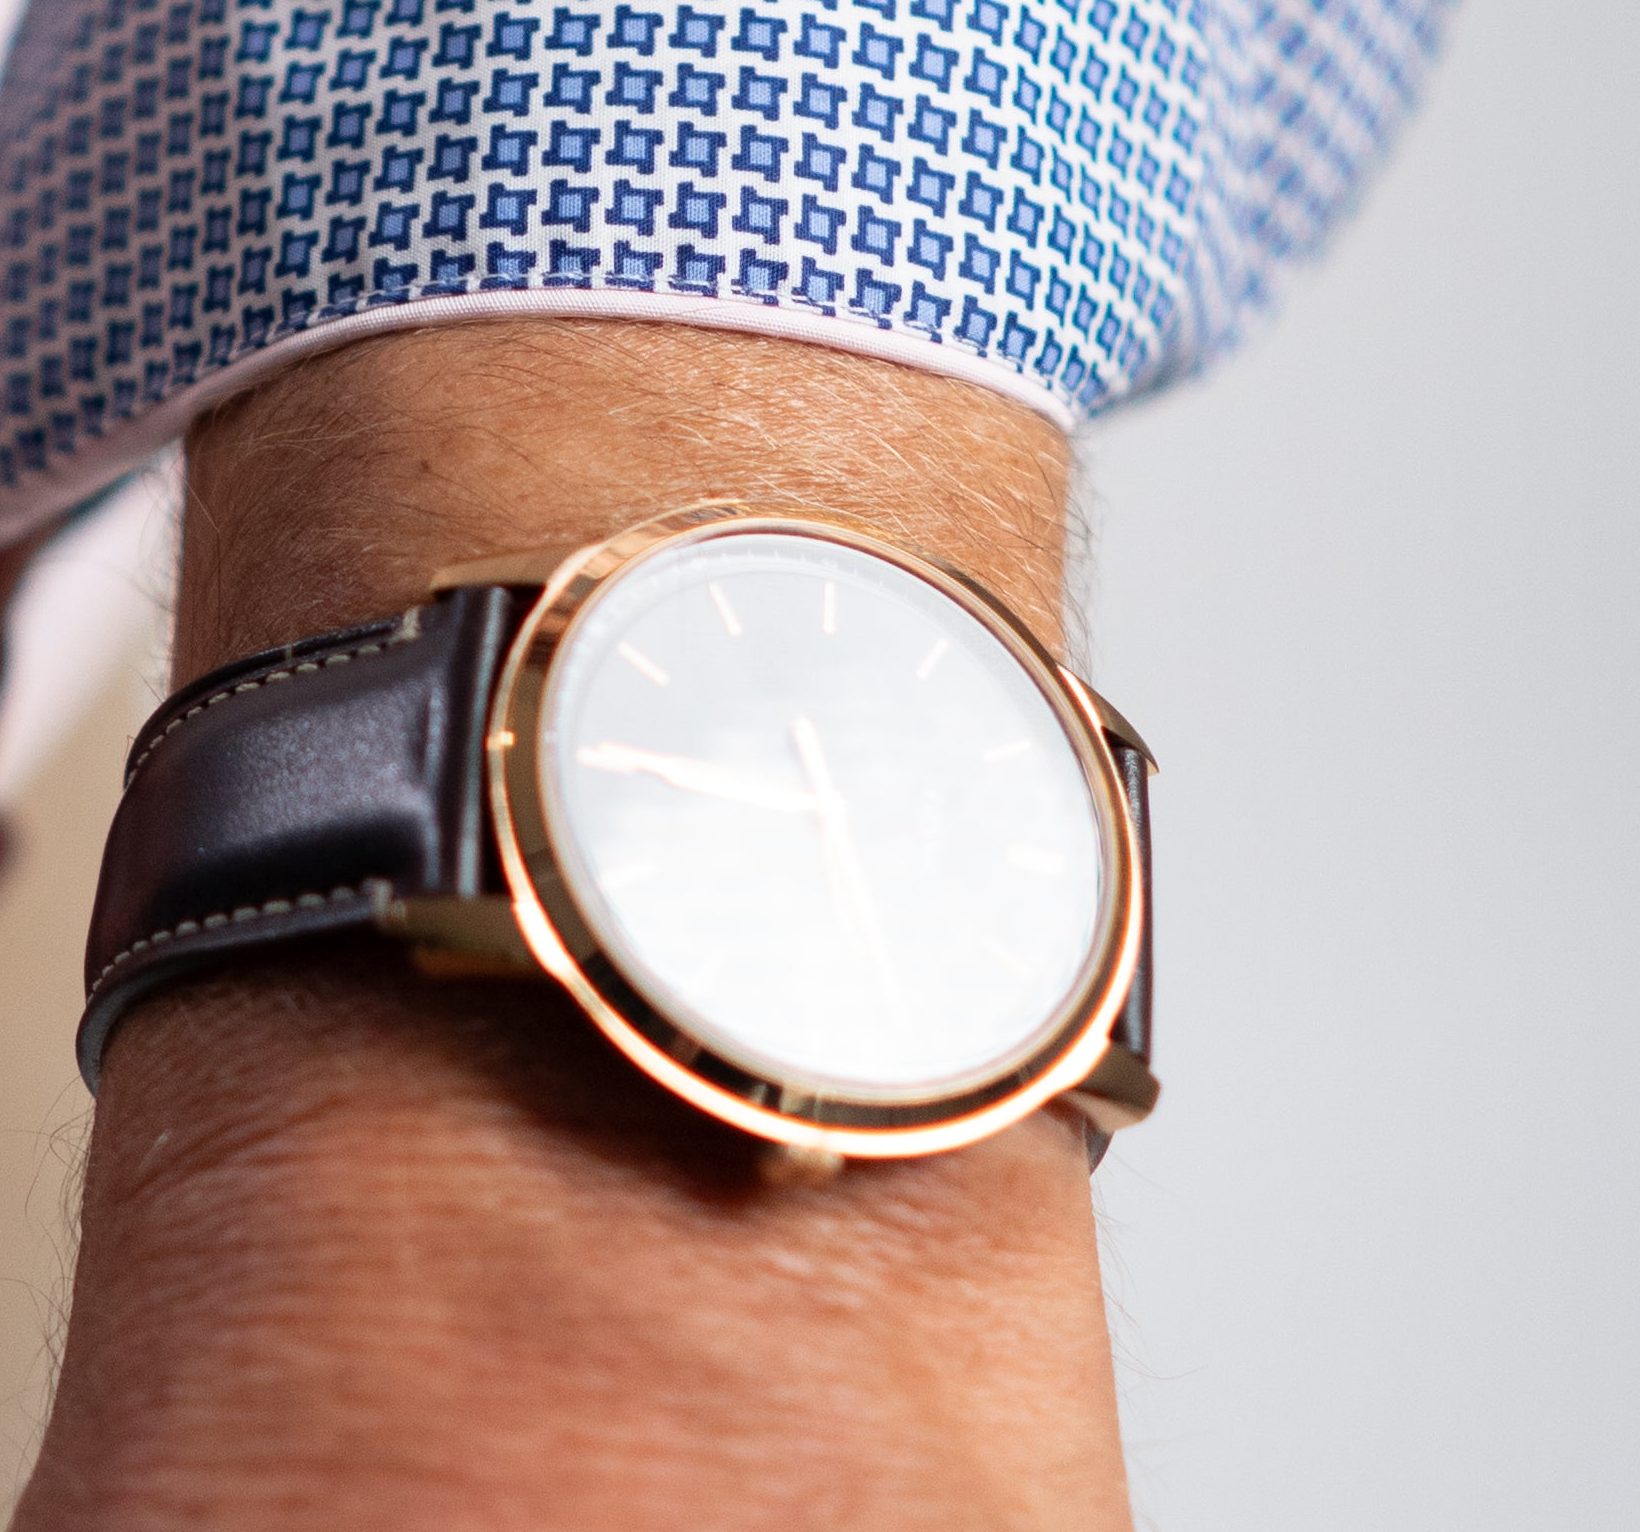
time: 11:45
